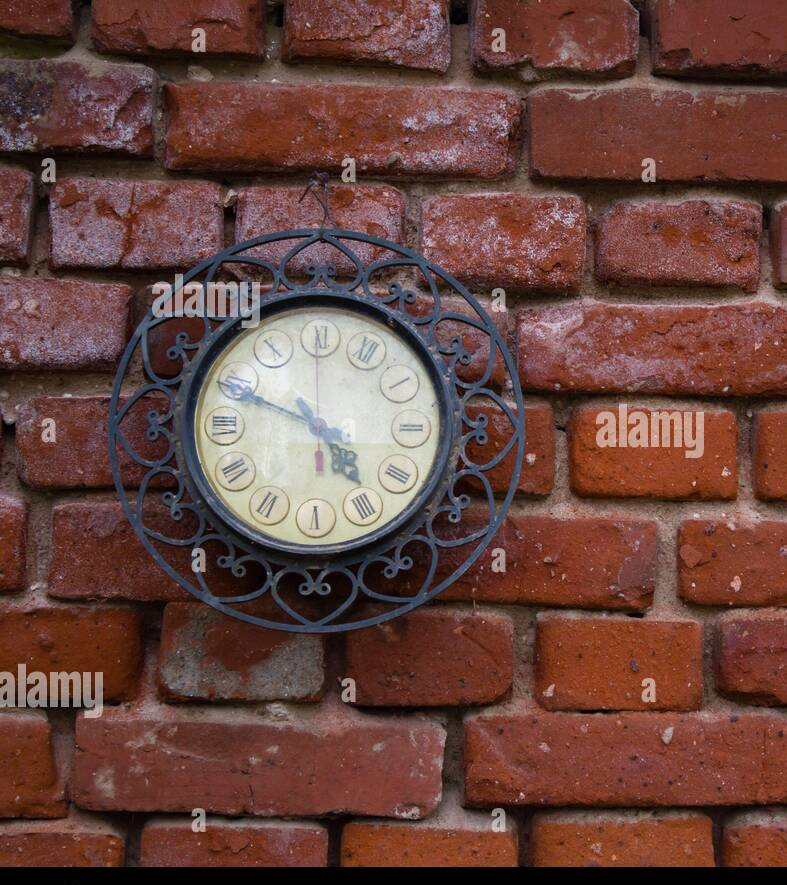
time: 4:49
